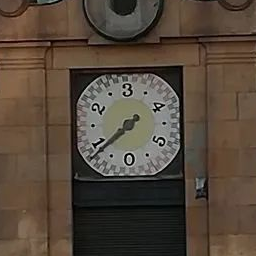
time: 7:38
